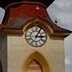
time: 3:04
